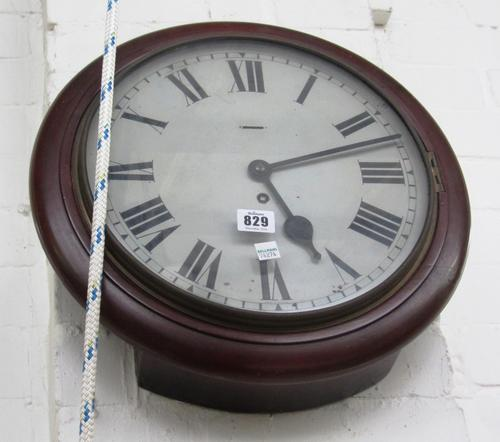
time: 5:12
